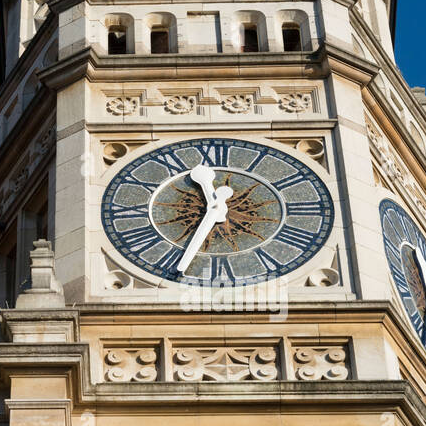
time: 11:33
